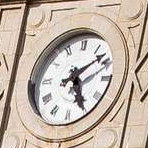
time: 5:09
